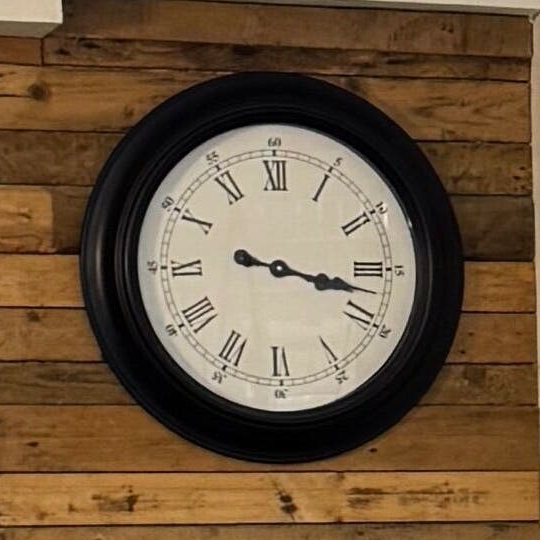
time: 3:17
